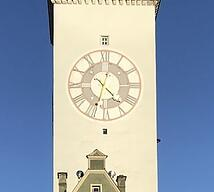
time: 4:33
